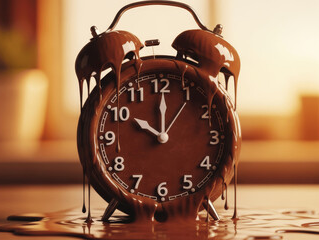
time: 10:00
